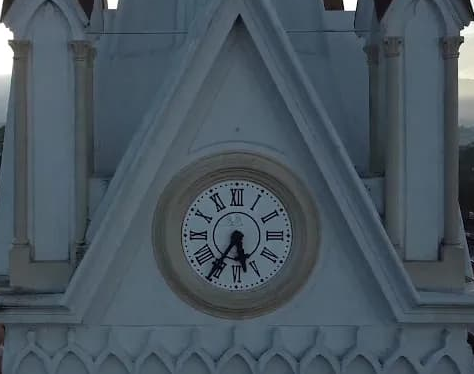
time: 5:35
